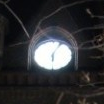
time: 6:05
